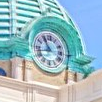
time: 10:42
